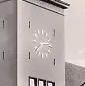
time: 2:38
